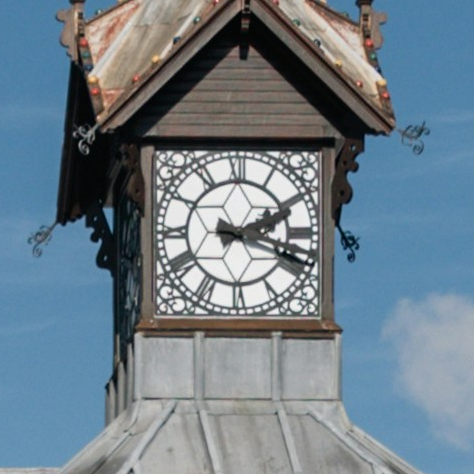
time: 2:18
